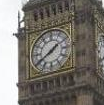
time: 1:39
